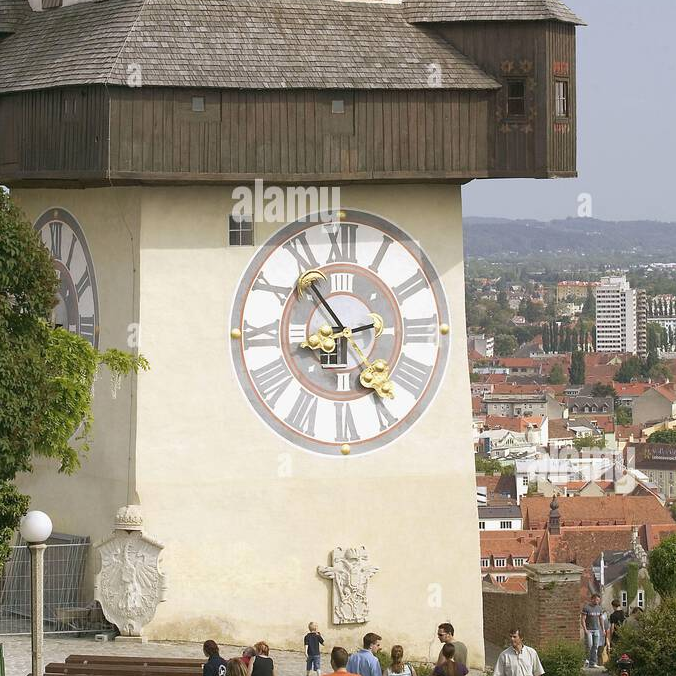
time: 2:53
